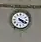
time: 4:19
